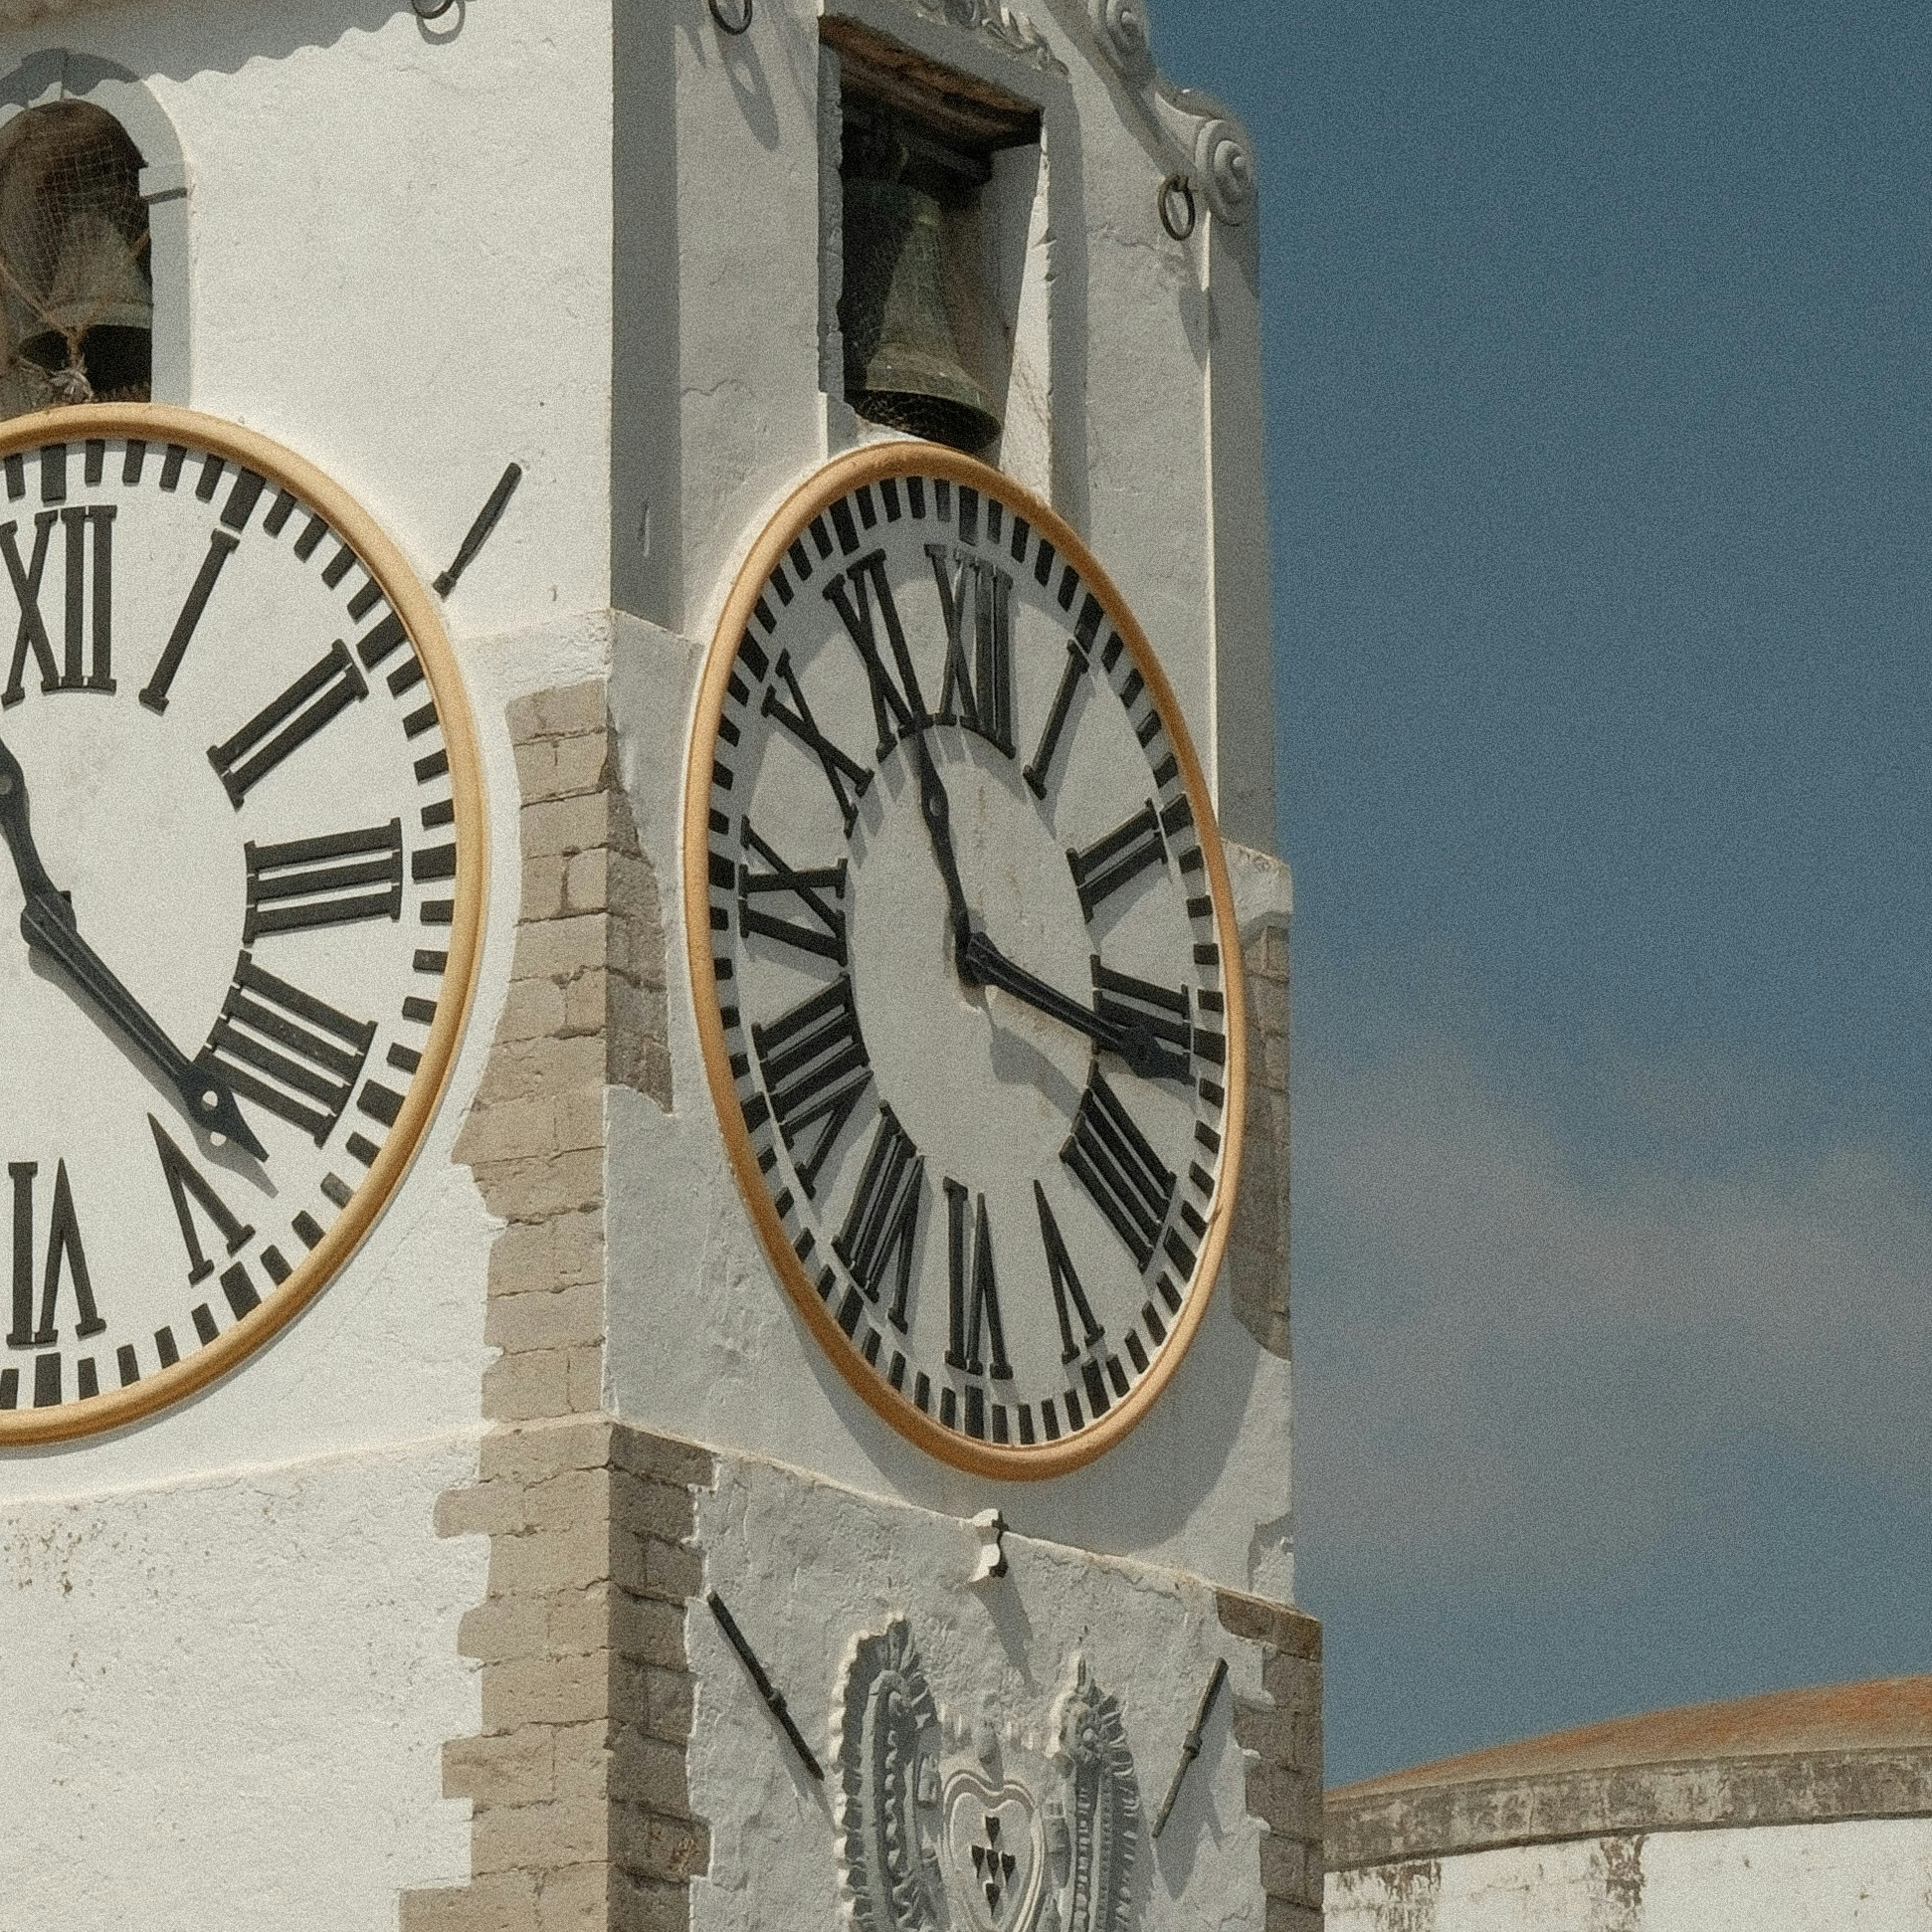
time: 11:16
